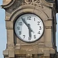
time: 5:54
